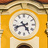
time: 4:42
